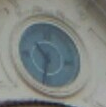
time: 10:32
